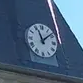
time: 11:08
